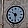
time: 10:30
